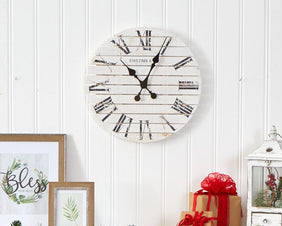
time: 12:52
